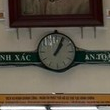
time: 1:04
